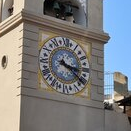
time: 3:21
